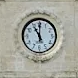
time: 11:00
